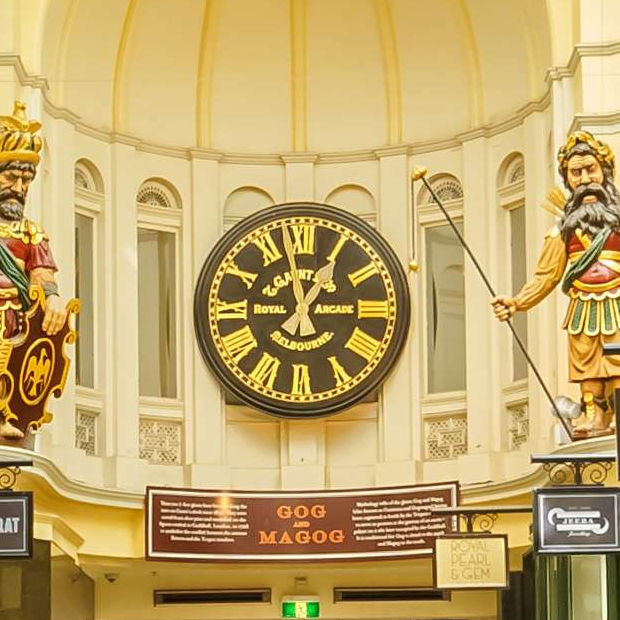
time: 12:57
